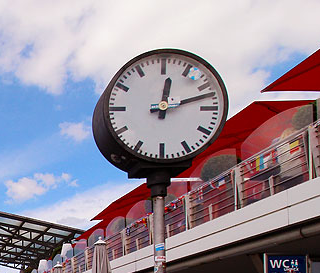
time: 12:12
